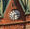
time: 6:13
